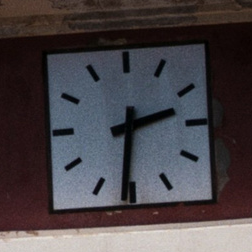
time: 2:31
